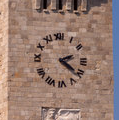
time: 2:21
